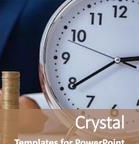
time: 3:39
